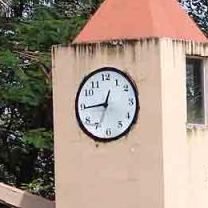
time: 12:44
